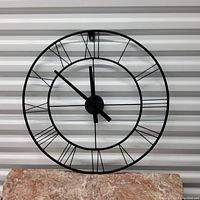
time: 11:52
